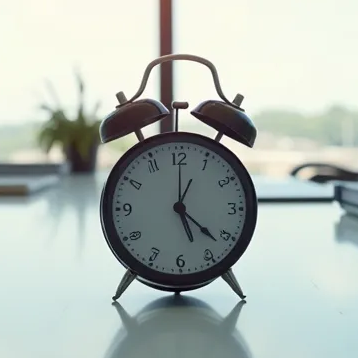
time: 5:21
